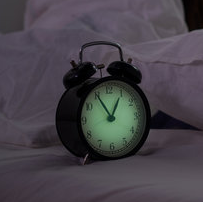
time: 12:54
